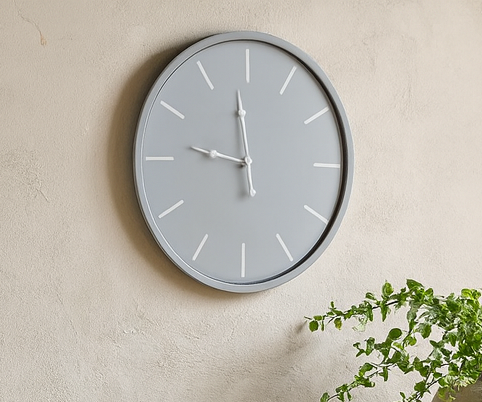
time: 11:46
